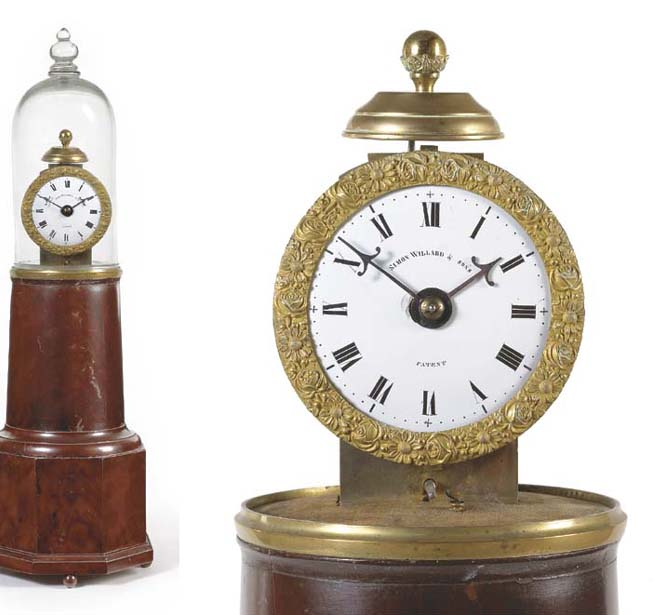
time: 1:51
